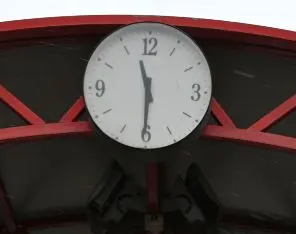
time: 11:30
